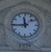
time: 11:44
